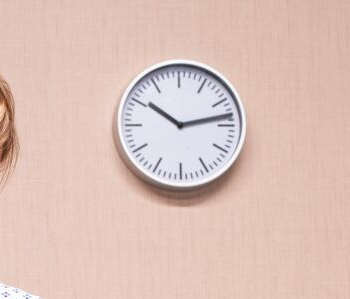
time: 10:13
